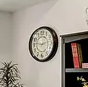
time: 9:12
